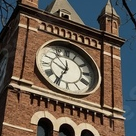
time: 9:34
